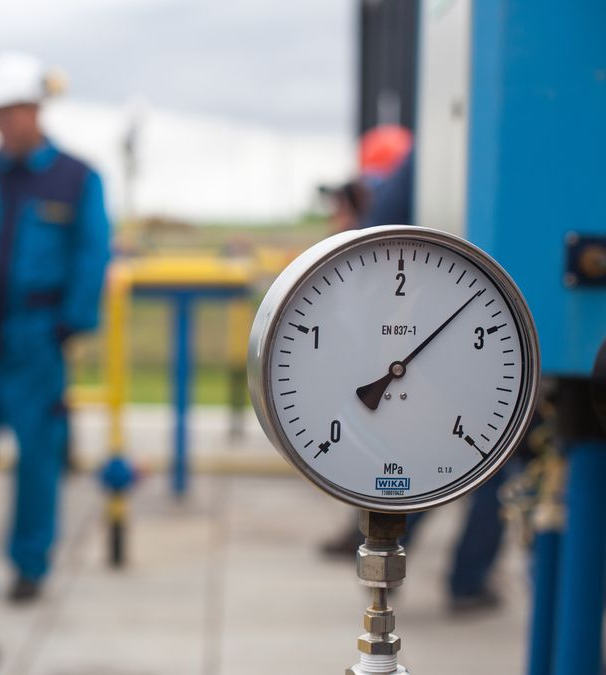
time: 8:07
